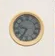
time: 9:34
